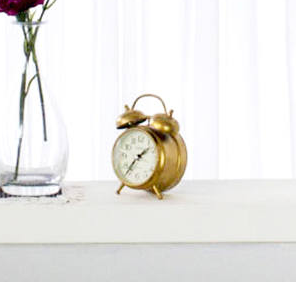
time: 1:36
